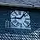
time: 9:07
